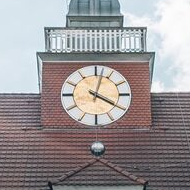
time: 4:02
